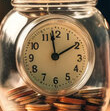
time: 1:58
